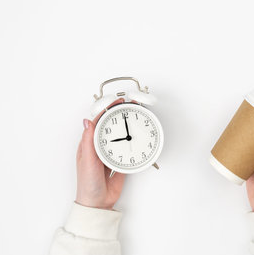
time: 9:00
